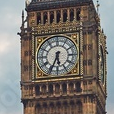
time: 5:34
